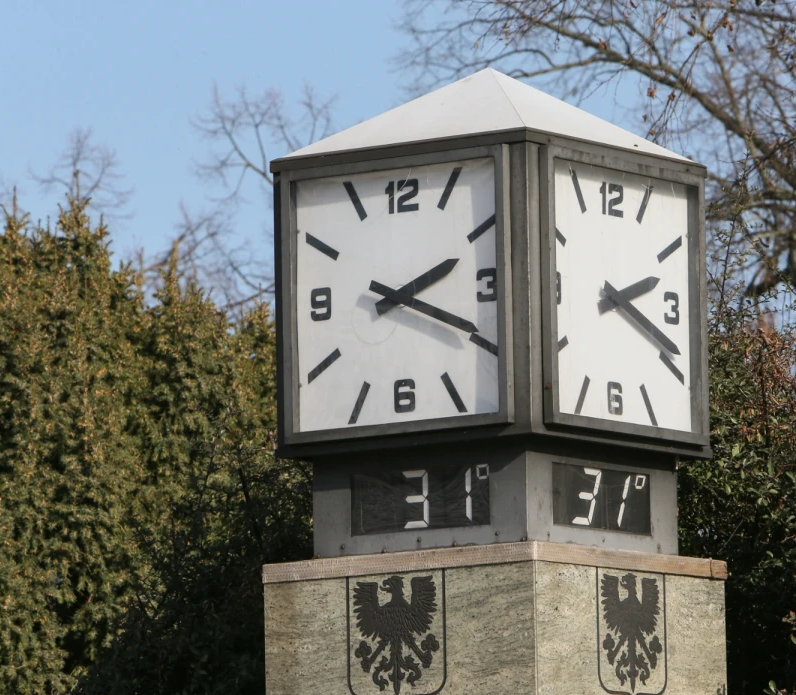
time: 2:19
